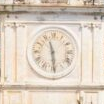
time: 11:28
